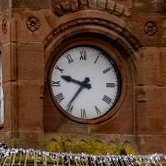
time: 9:36
